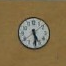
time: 5:29
